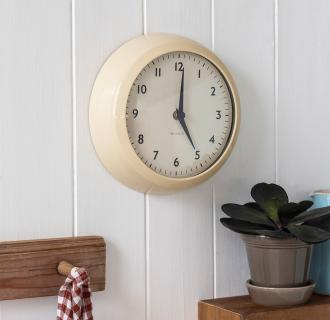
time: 5:00
